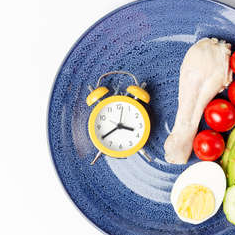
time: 3:39
